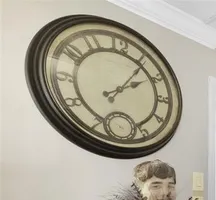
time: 2:06
